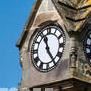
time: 11:24
